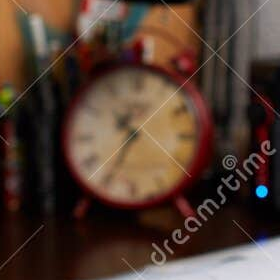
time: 10:34
